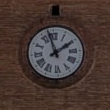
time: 1:57
